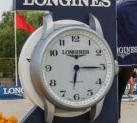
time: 6:15
